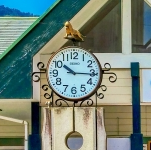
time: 10:15
